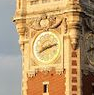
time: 8:12
